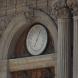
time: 7:04
